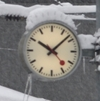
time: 10:07
